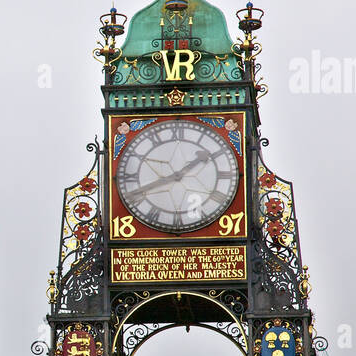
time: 1:41
